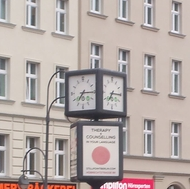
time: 7:15
